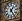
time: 1:24
